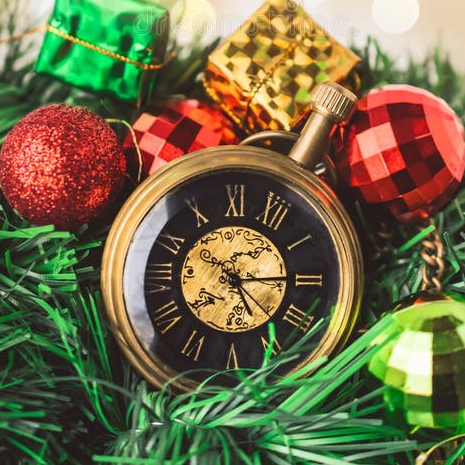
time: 5:15
